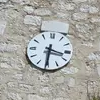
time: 3:30
